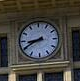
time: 8:40
